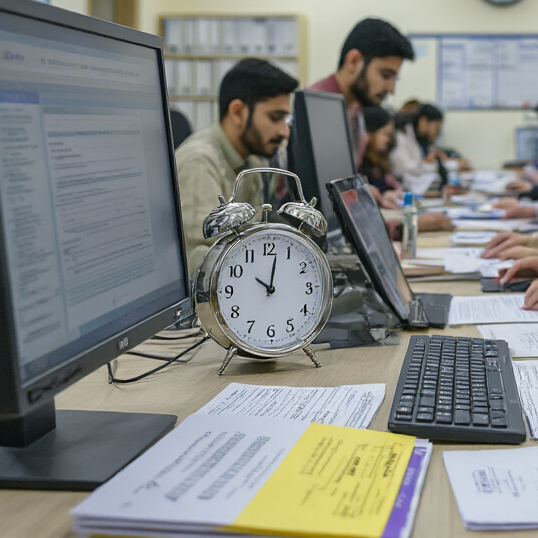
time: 10:02
